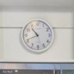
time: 10:41
